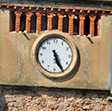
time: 5:25
